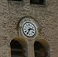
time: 2:35
